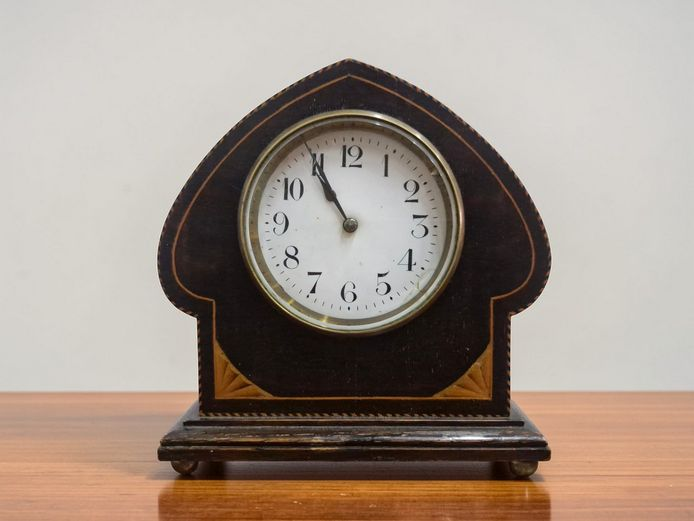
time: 10:55
